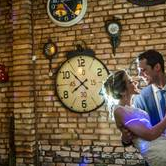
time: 7:52
